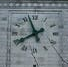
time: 7:57
